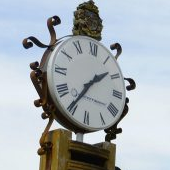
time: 1:35
